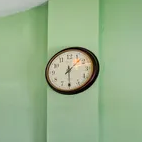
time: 1:29
